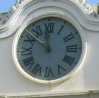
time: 11:51
